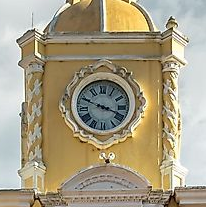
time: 3:48
